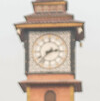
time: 2:37
